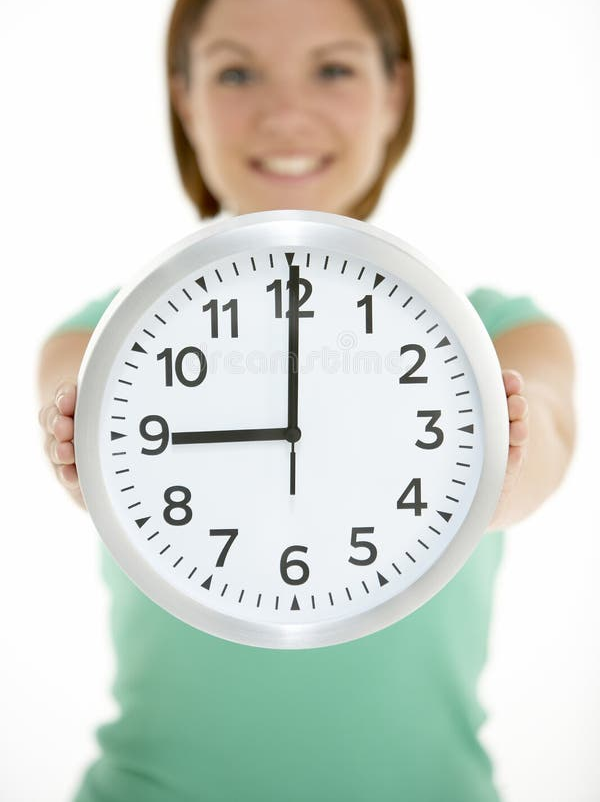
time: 9:00
